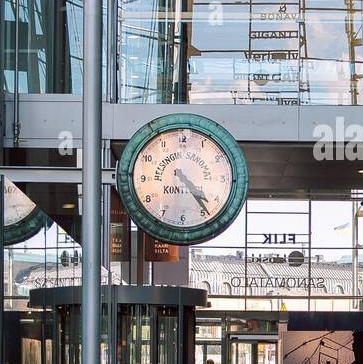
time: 4:23
